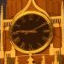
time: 9:10
